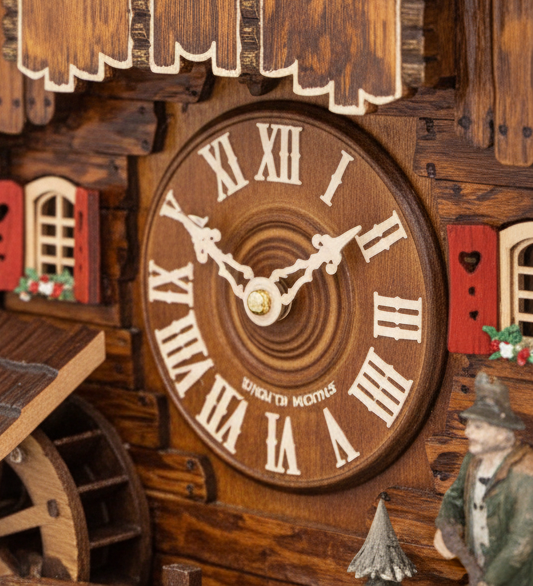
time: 1:50
